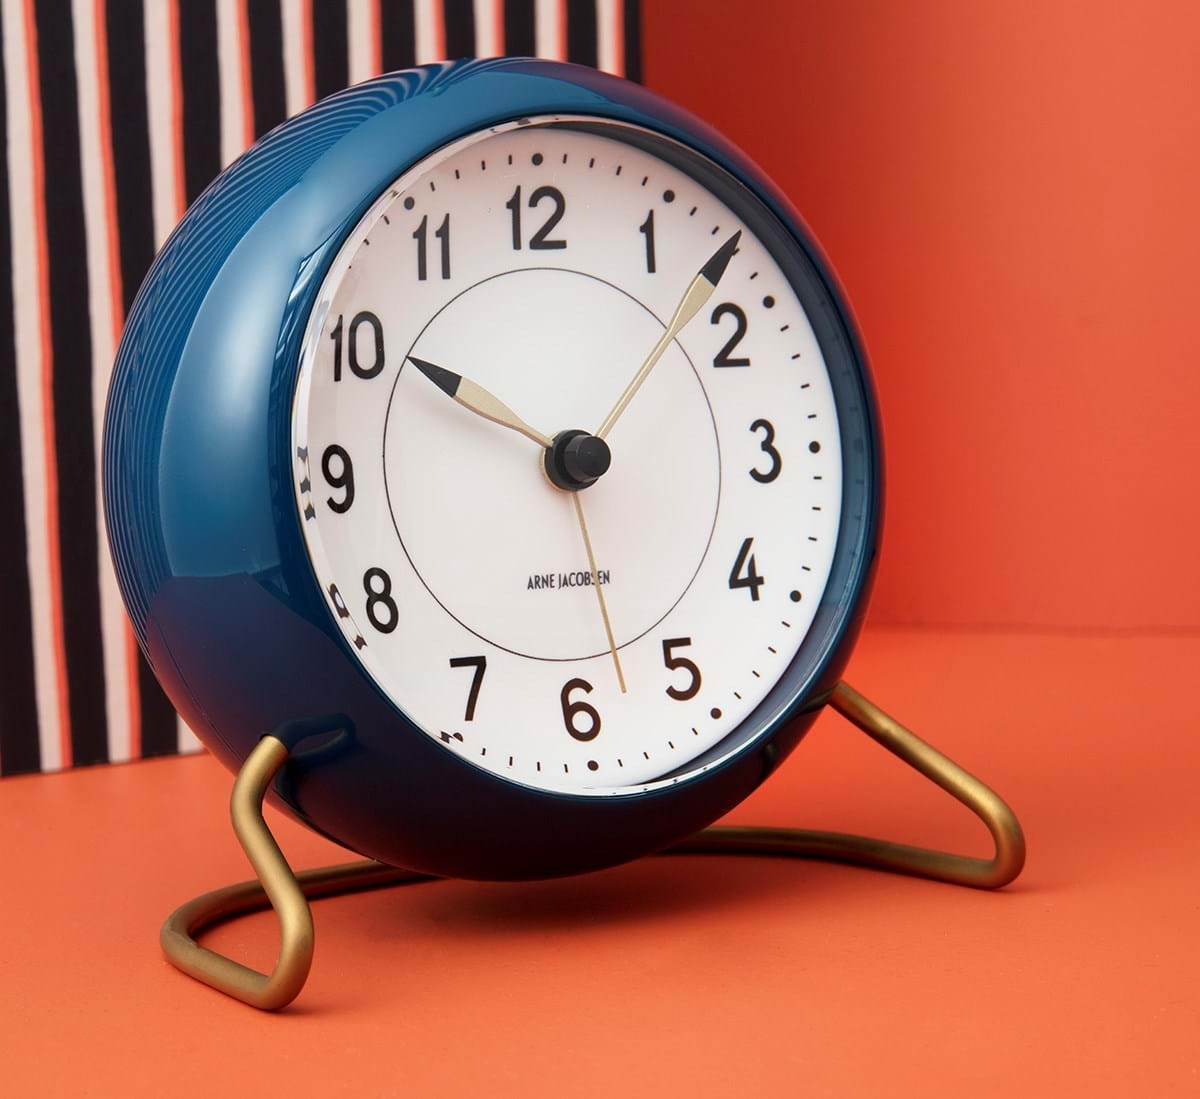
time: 10:07
